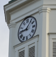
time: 9:05
